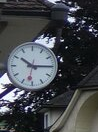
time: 10:15
